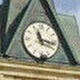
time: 11:17
